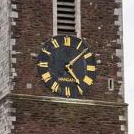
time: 5:08
